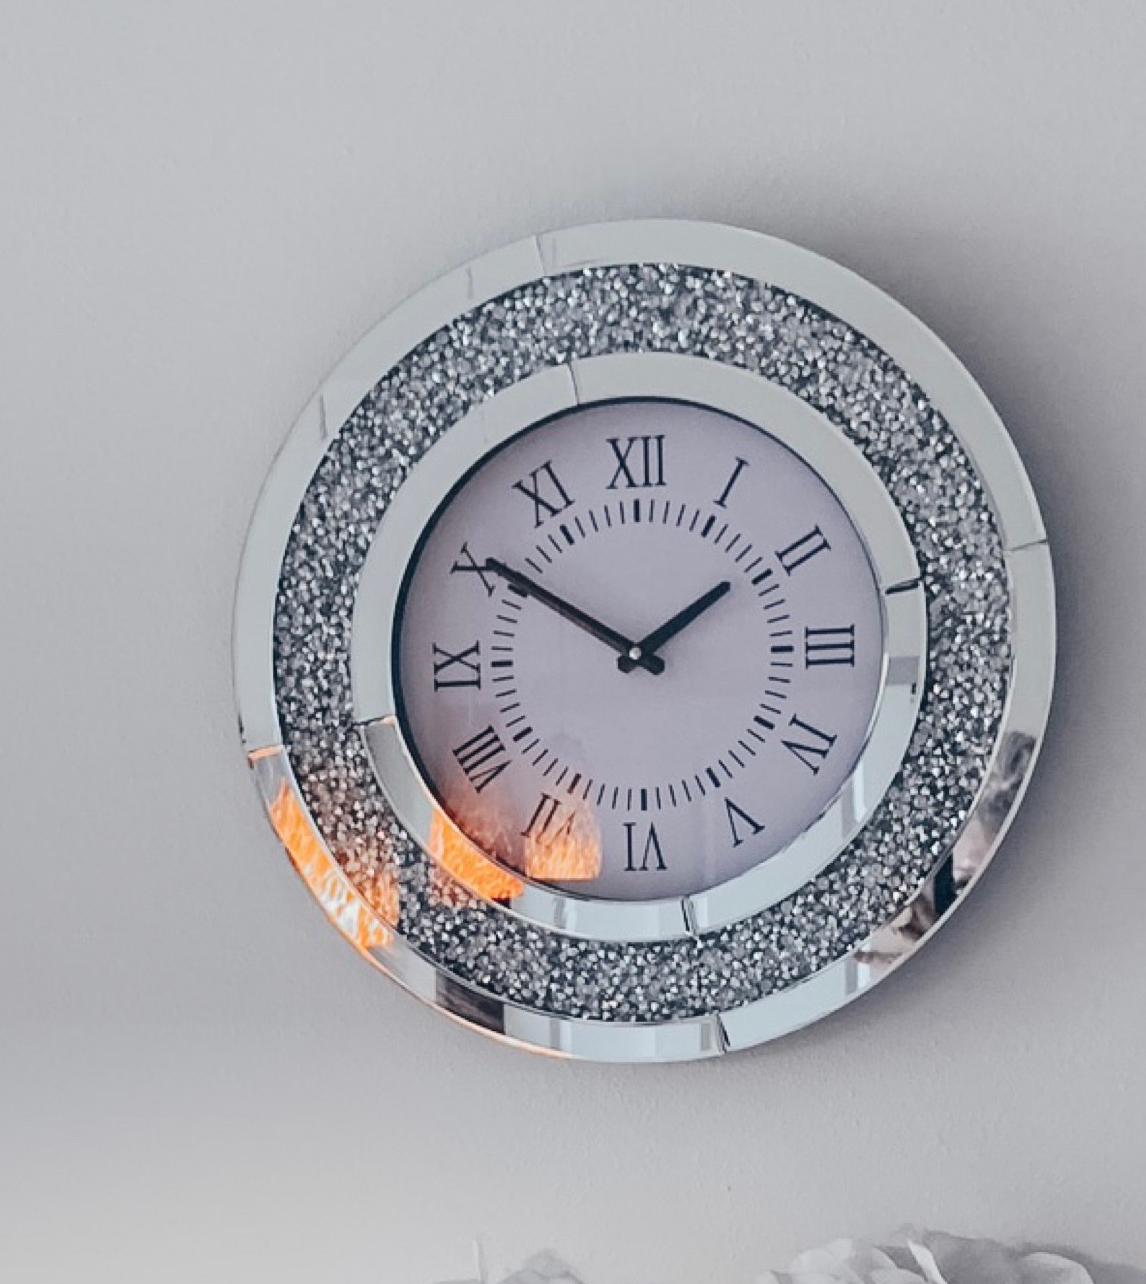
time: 1:50
